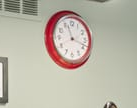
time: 11:18
